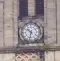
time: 10:32
